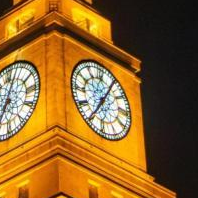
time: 7:05
